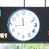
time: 11:43
